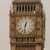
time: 12:32
